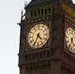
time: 4:34
